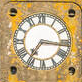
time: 7:16
